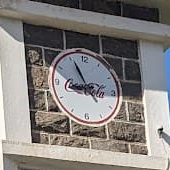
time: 8:55
